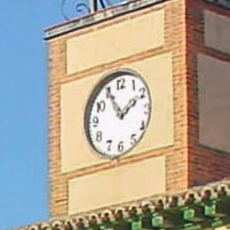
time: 1:55
